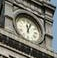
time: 12:04
